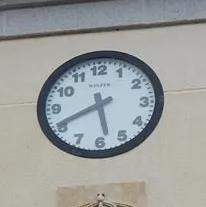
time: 5:40
